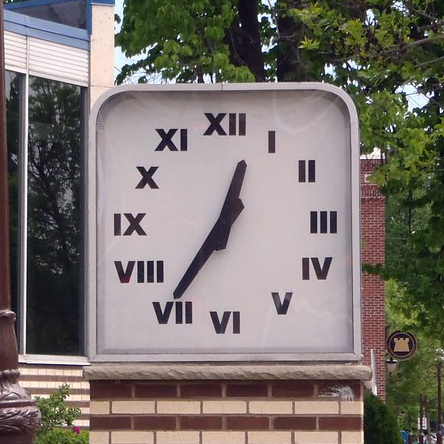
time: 12:35
